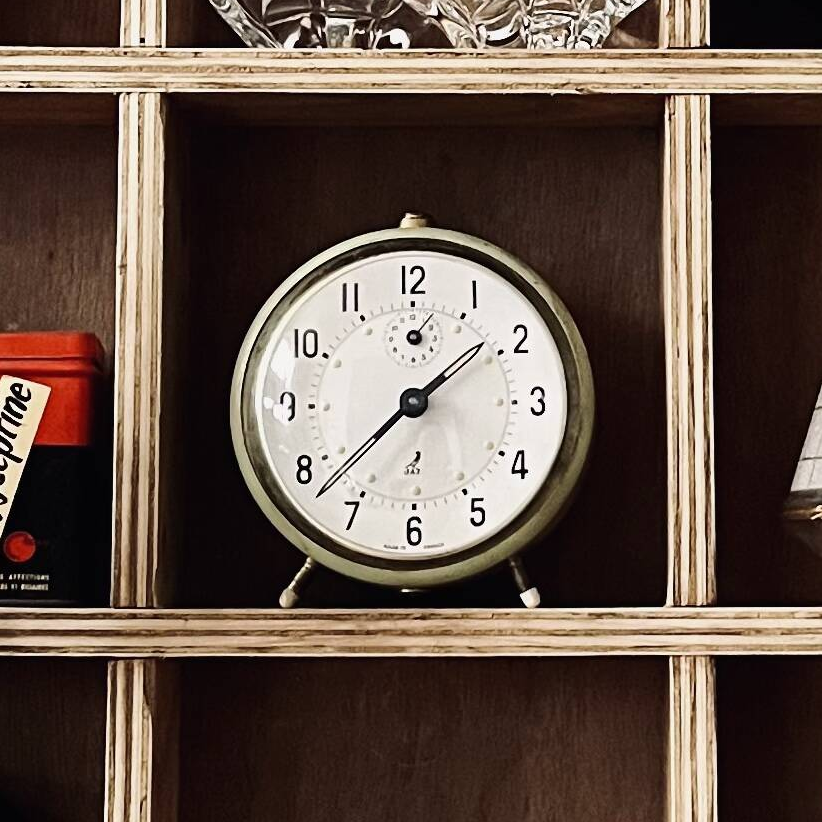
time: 1:37
